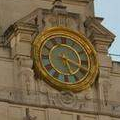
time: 5:18
